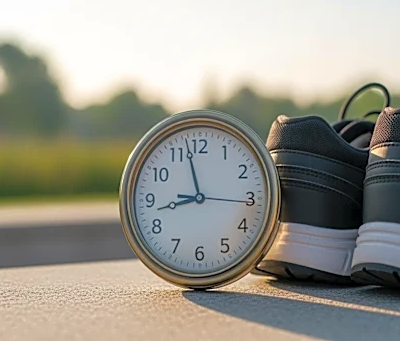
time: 8:57
